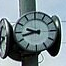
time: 9:42
